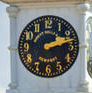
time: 2:12
